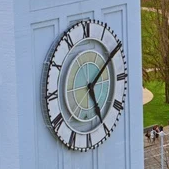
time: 5:09
